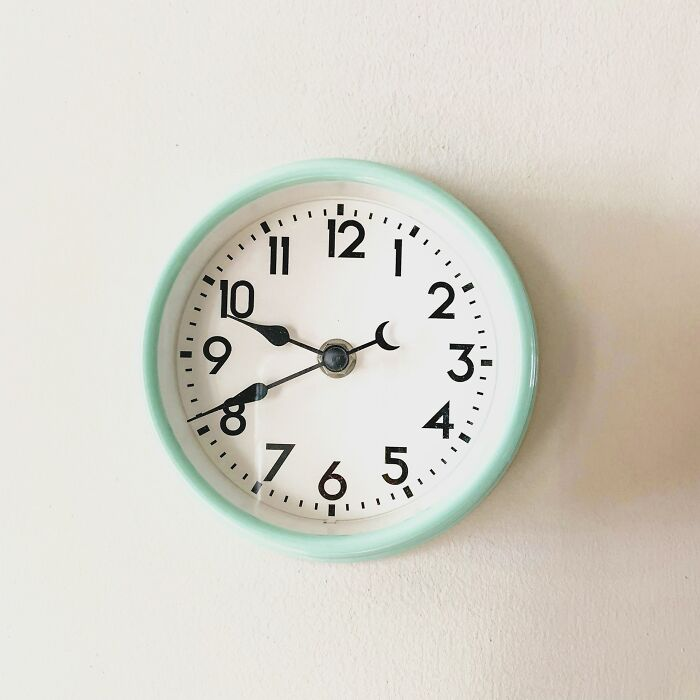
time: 9:41
